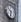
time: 10:32
